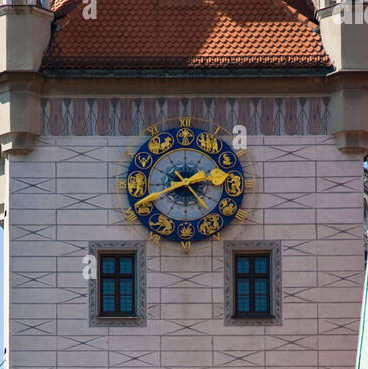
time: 4:41
